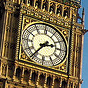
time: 2:36
